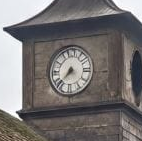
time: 7:37
